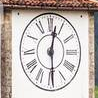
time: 12:29
